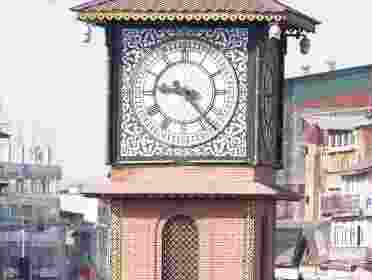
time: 9:23
